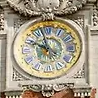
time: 9:57
